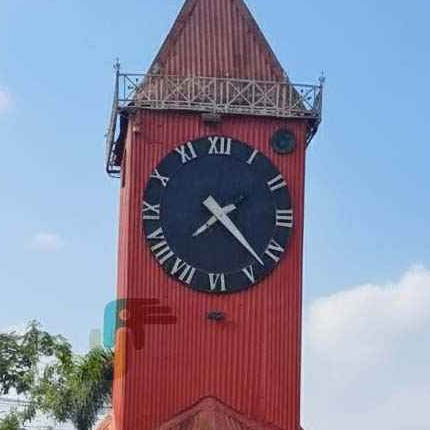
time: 7:22
